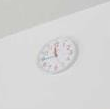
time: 11:44
